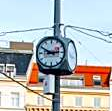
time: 2:49
